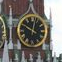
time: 10:02
